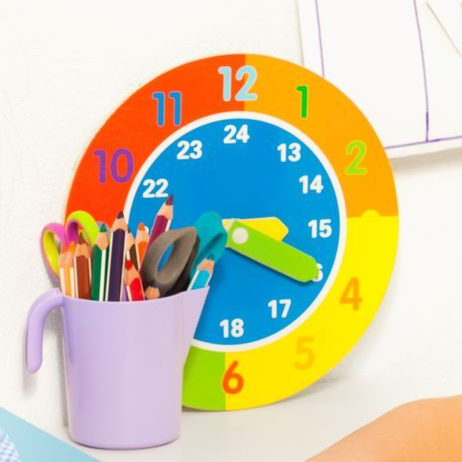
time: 7:19
